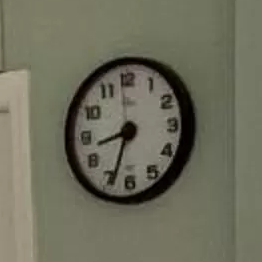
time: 8:33
